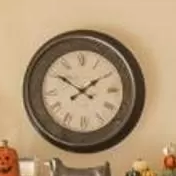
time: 1:51
